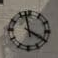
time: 3:57
